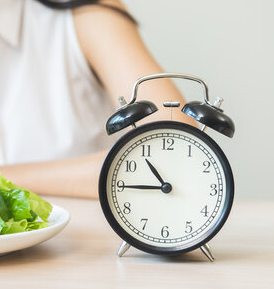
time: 10:45
